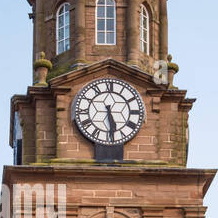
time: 5:28
